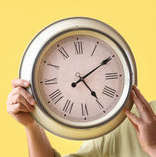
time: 5:09
